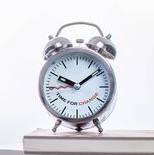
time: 10:08
